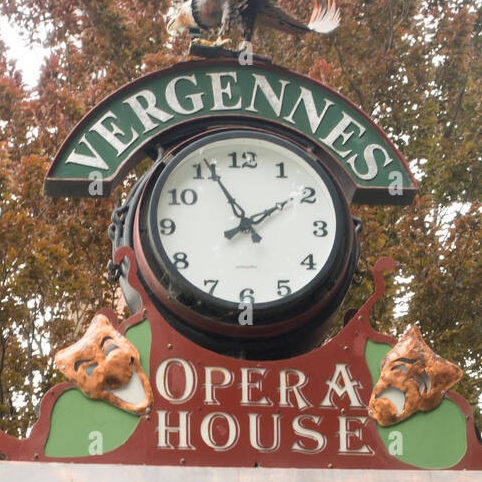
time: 1:55
